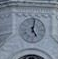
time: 5:01
